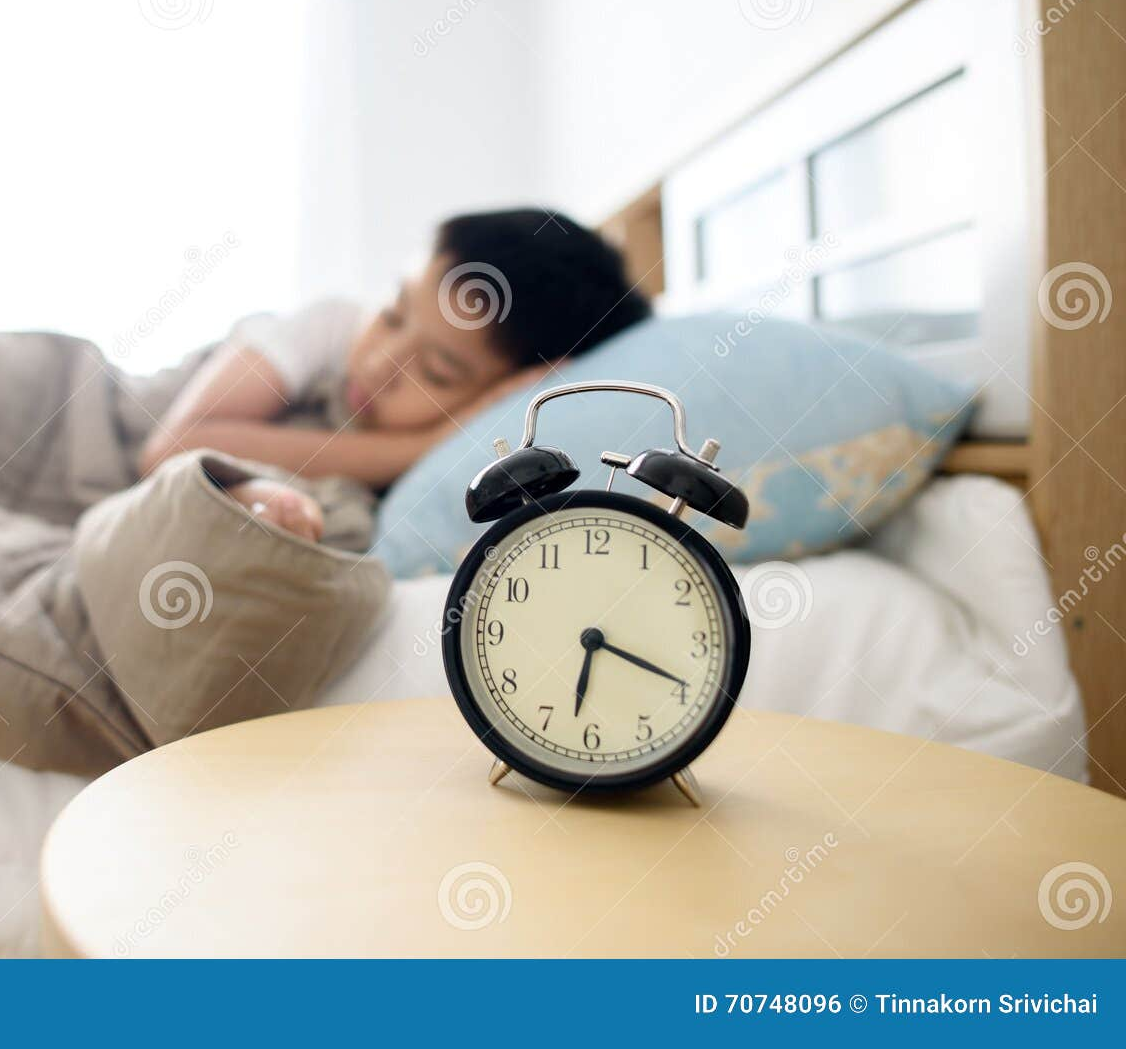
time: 6:19
